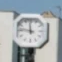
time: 11:46
